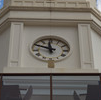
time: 11:48
